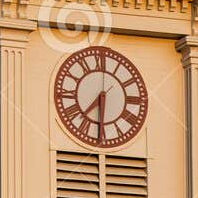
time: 7:30
